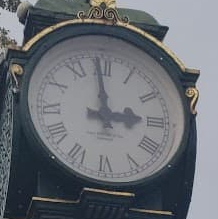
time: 2:59
